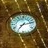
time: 7:13
